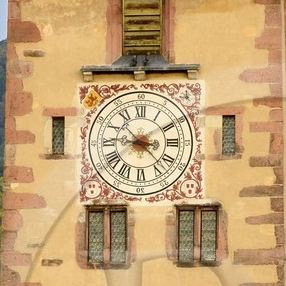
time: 3:22
